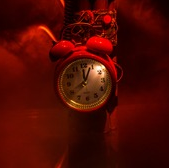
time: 12:03
